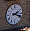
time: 2:18
